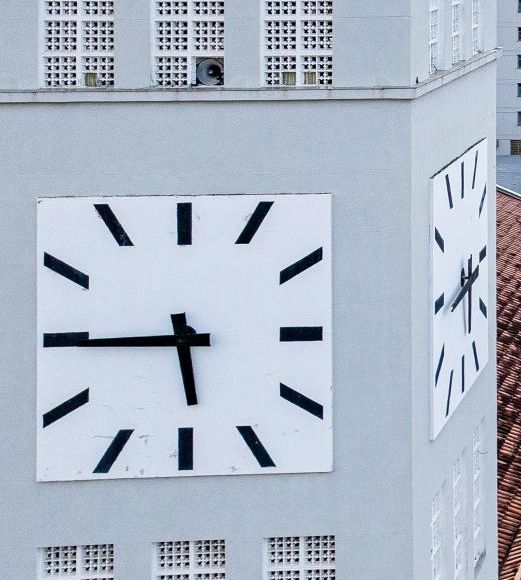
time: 5:45
